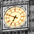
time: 6:48
